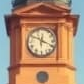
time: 12:19
